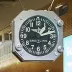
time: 1:12
